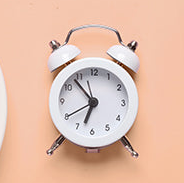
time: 6:53
